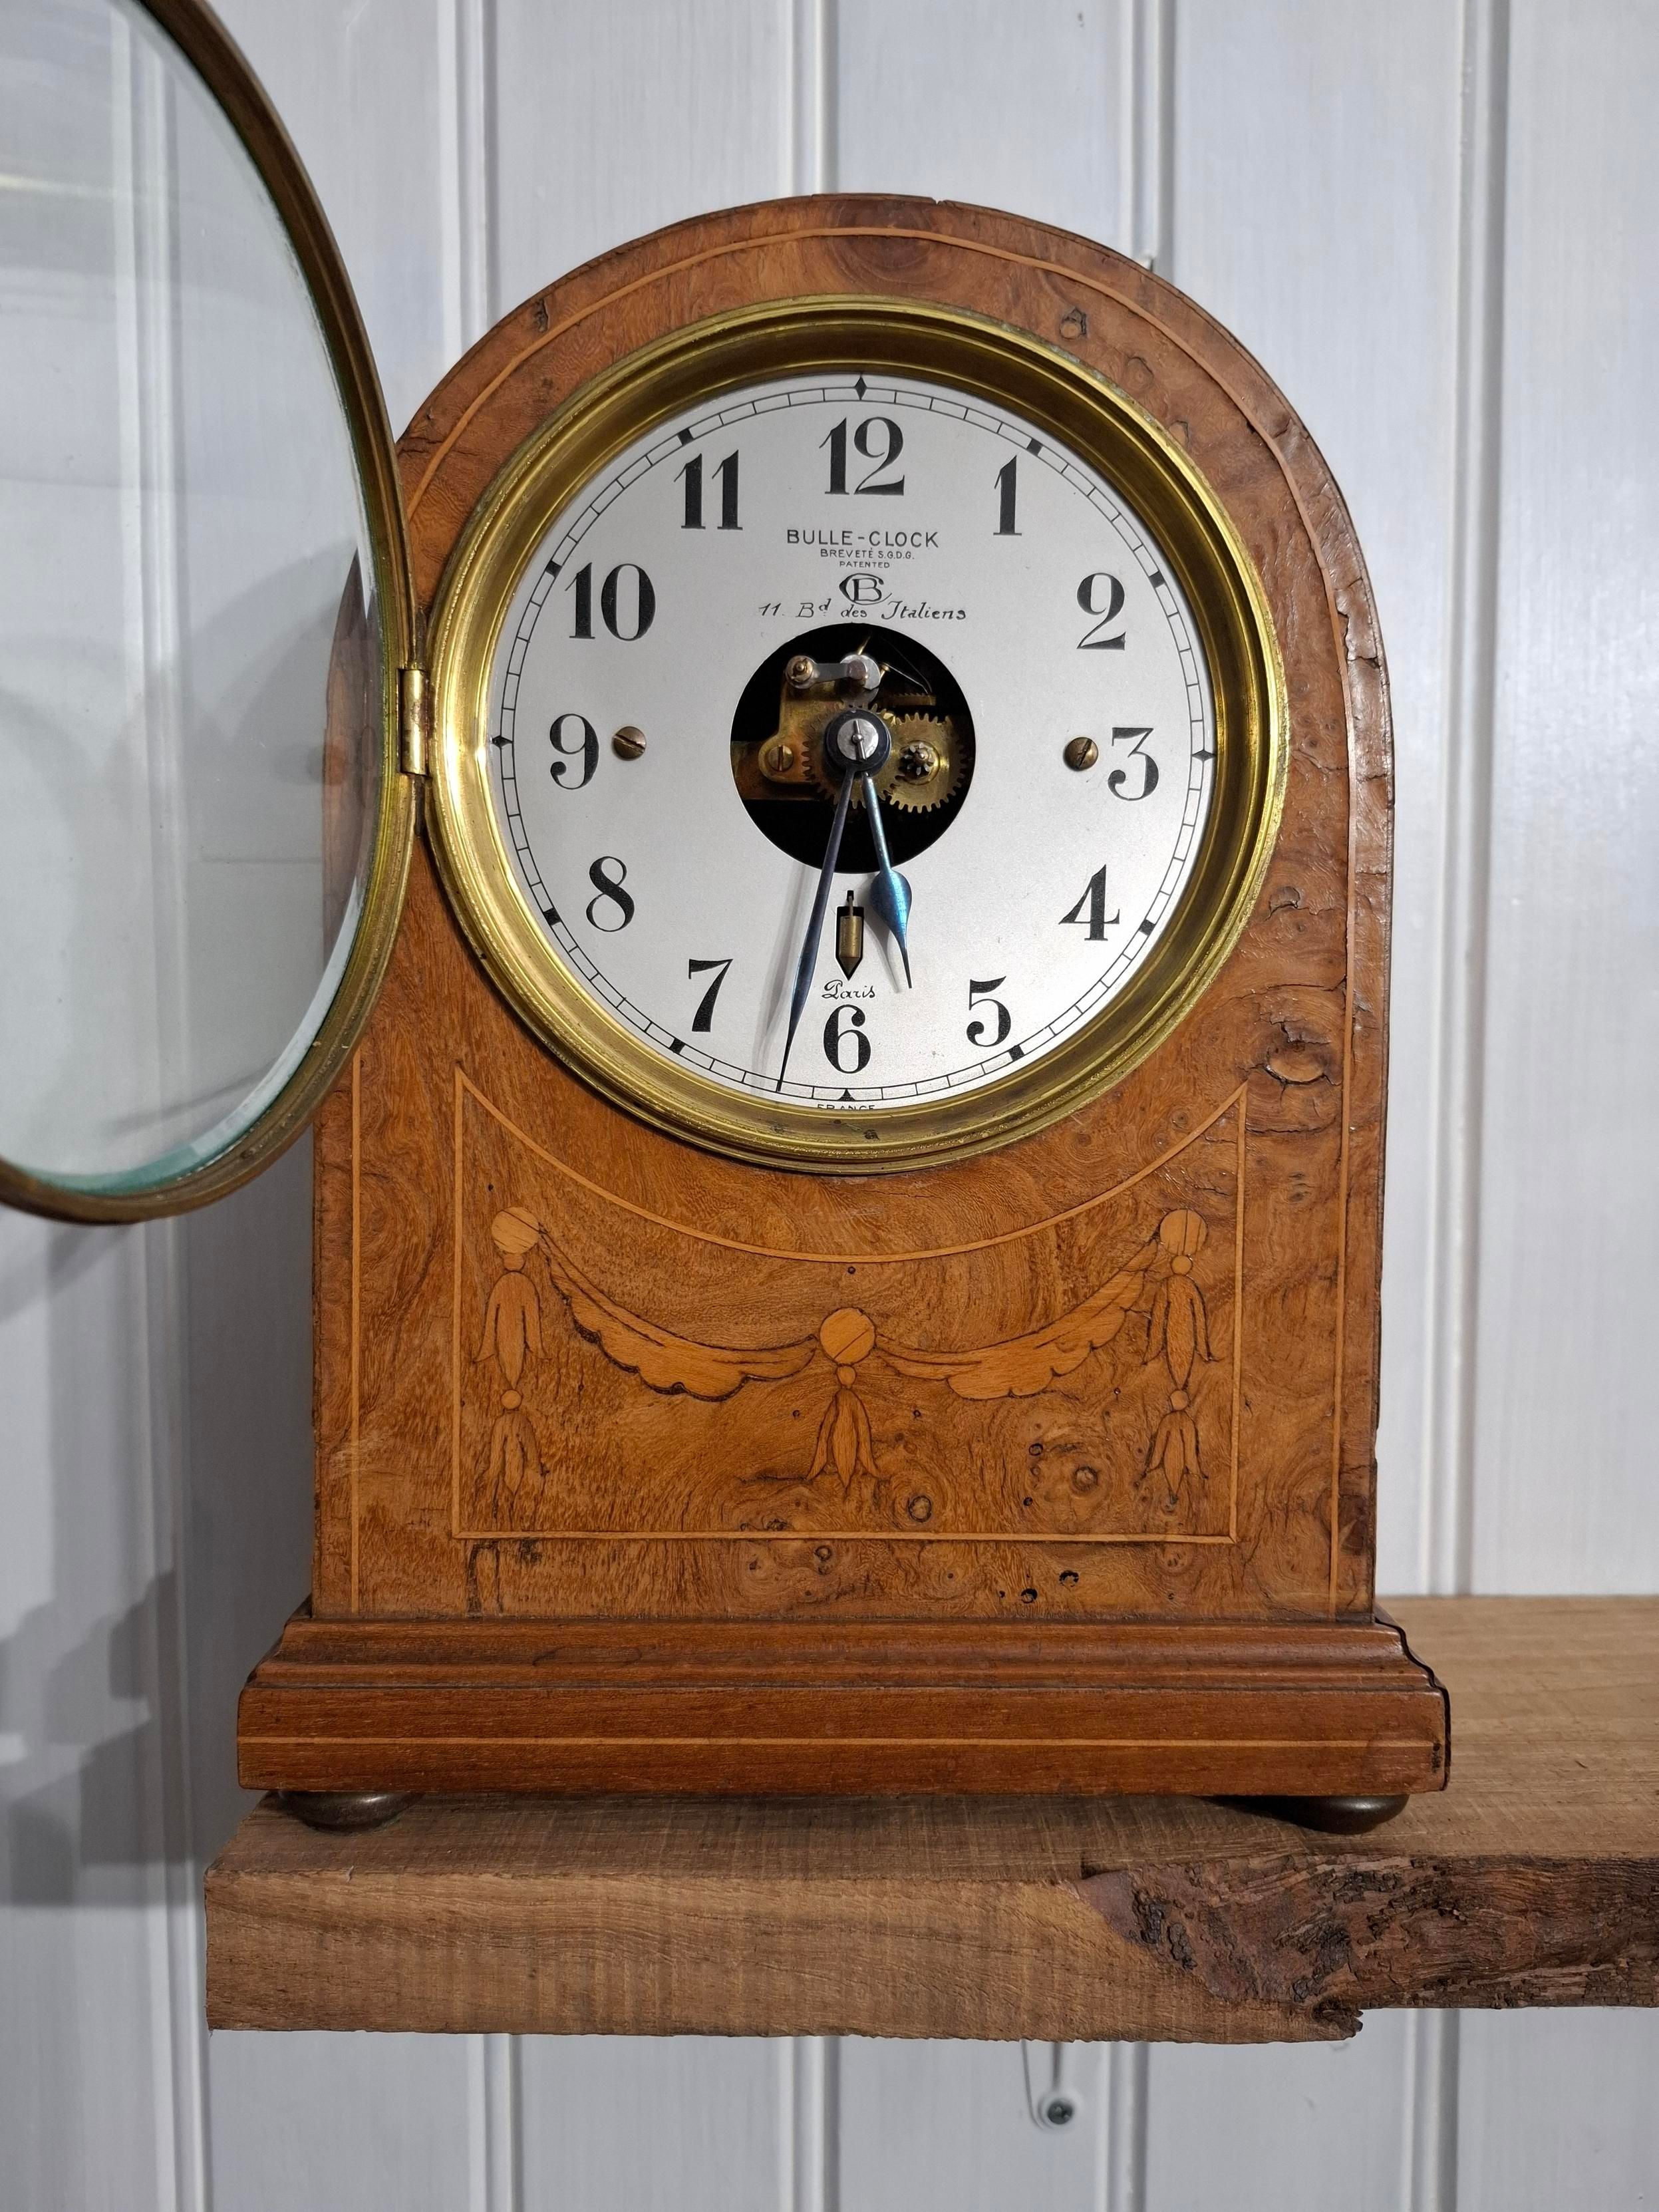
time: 5:31
